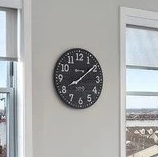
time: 8:09
